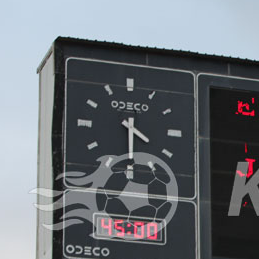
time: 4:29
